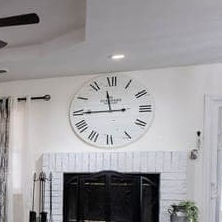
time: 11:44
